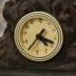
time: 3:35
